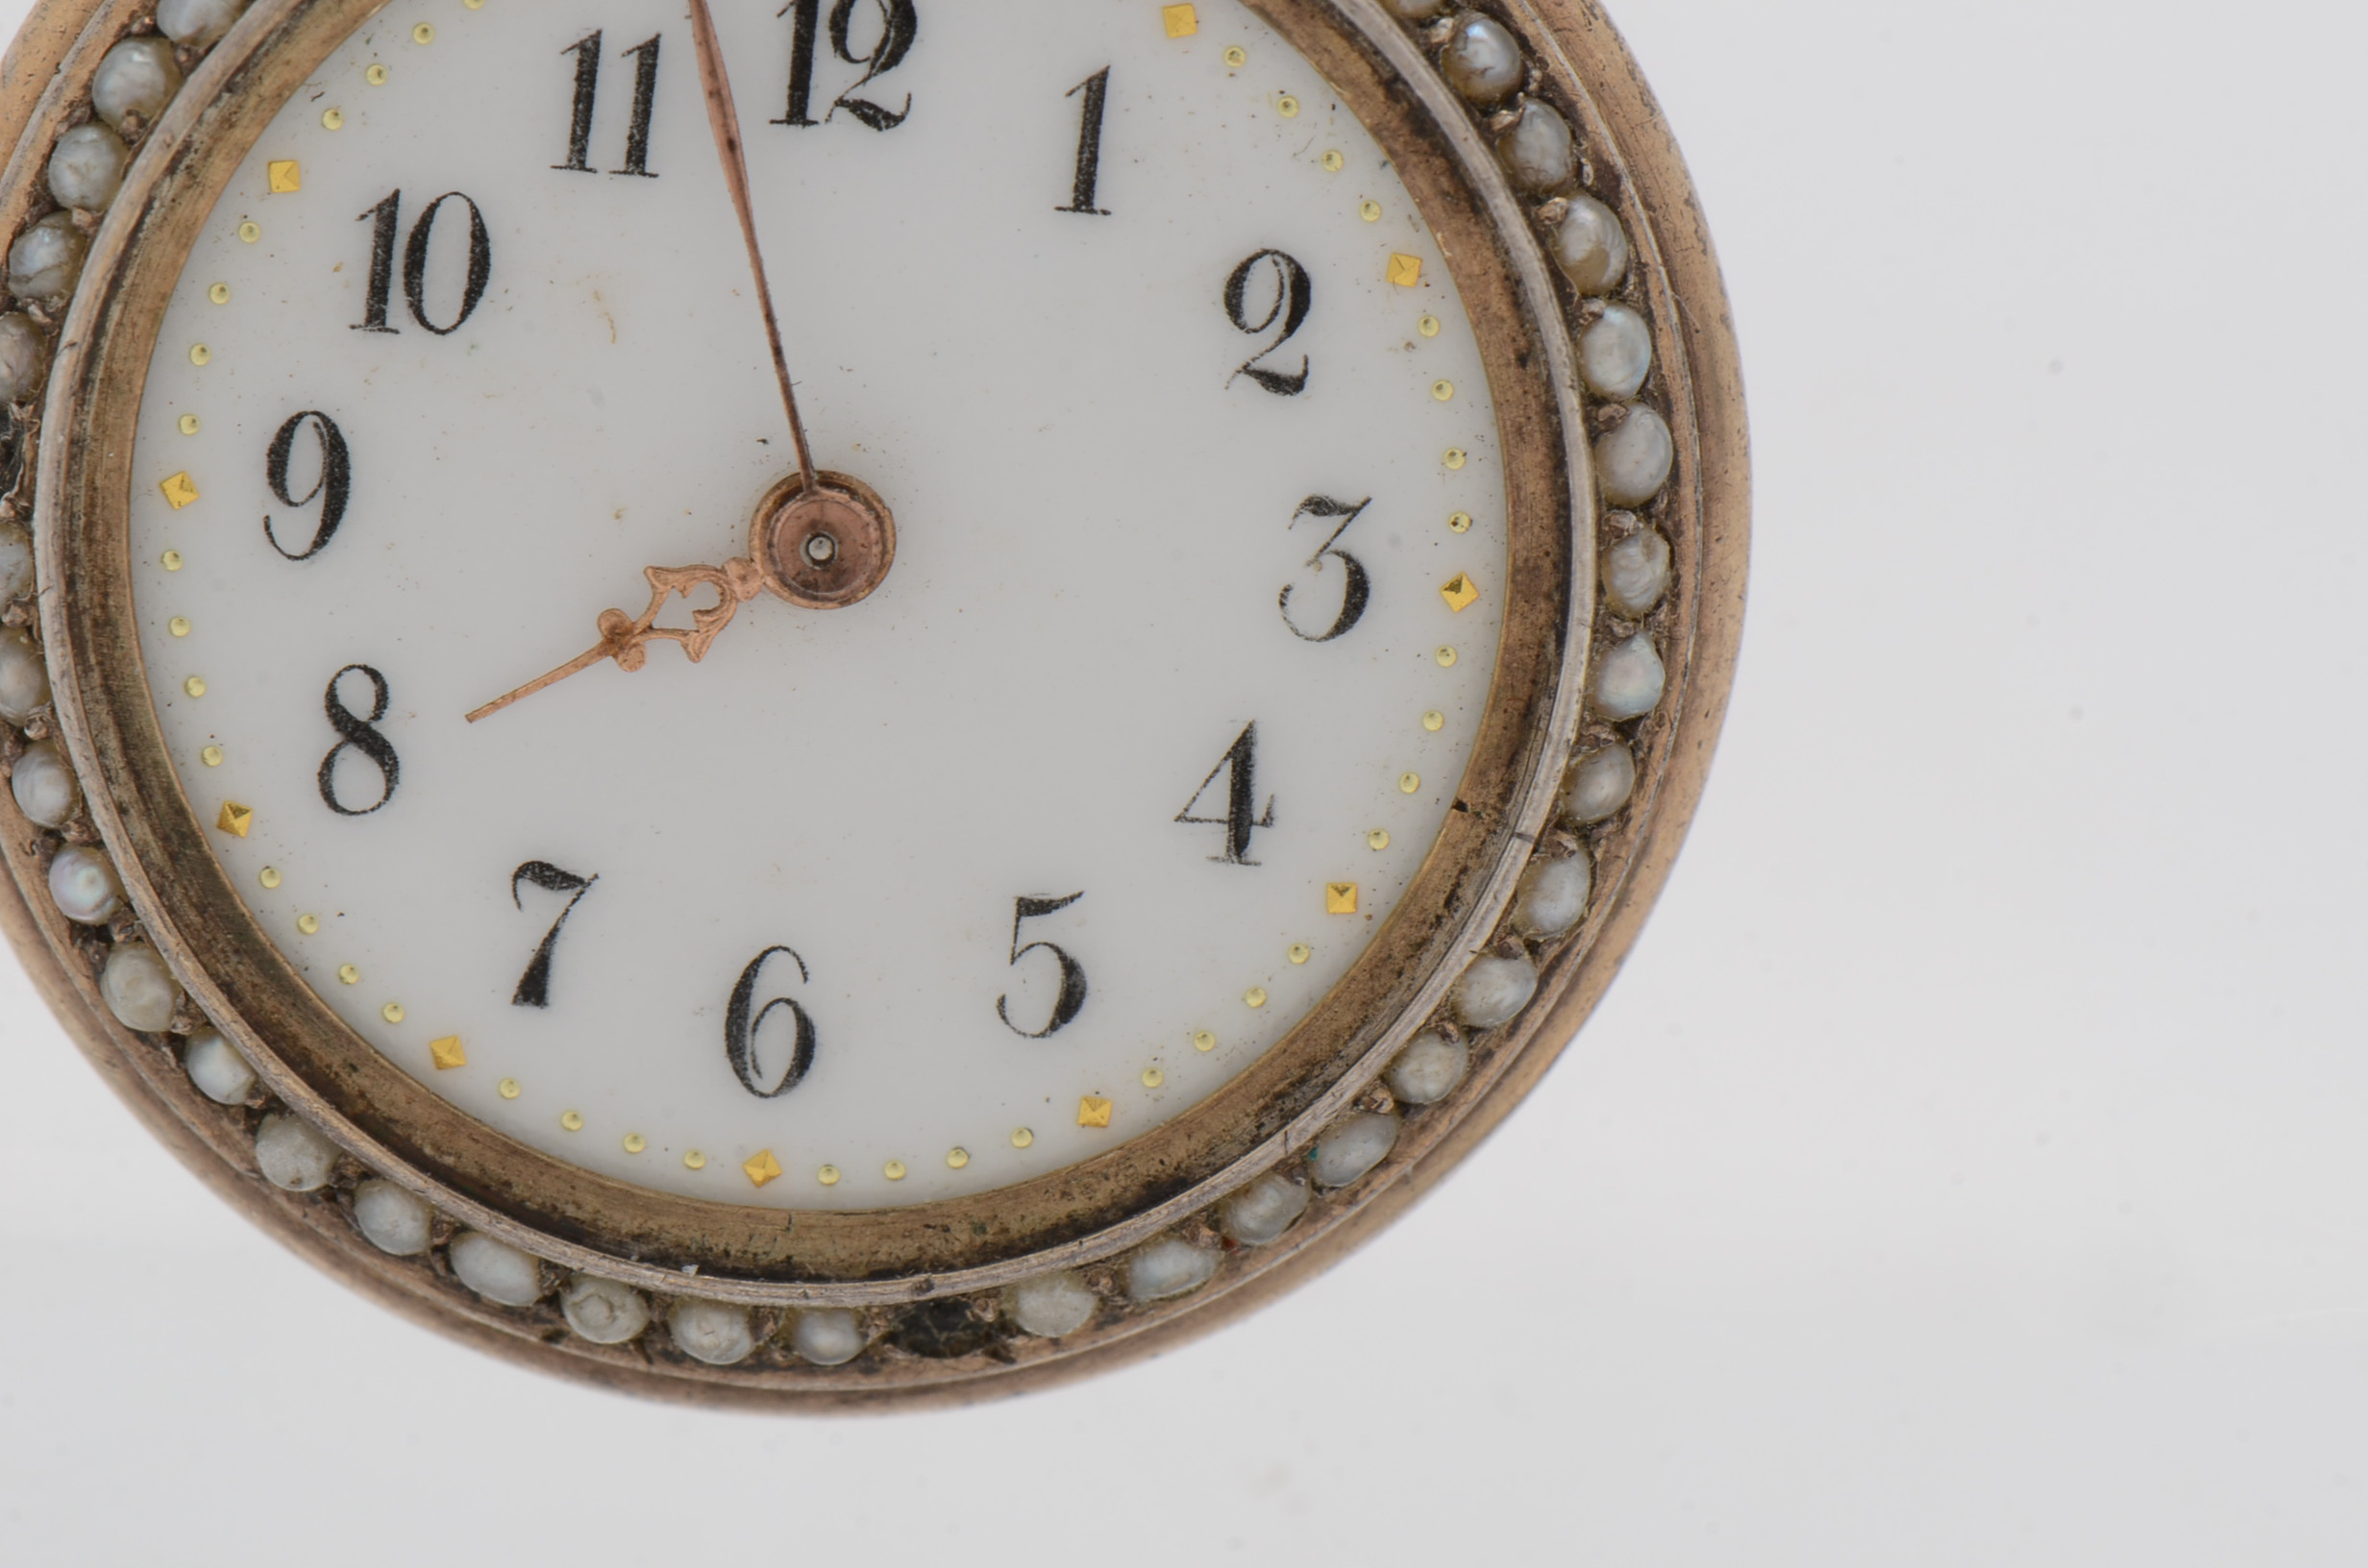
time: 7:57
